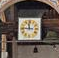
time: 11:45
